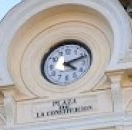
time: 4:11
